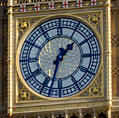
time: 1:32
